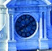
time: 8:09
